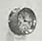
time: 11:17
